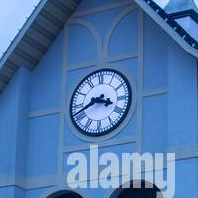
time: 3:40
